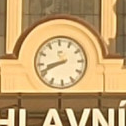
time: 8:41
